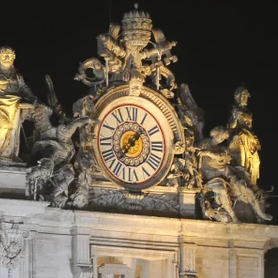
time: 1:36
